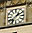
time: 1:37
